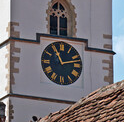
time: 11:12
